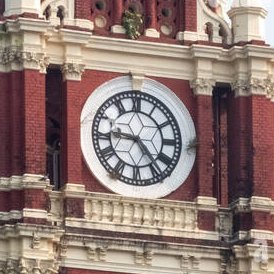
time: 4:45
